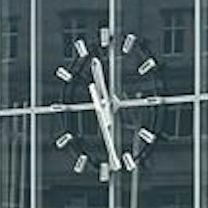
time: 11:28
